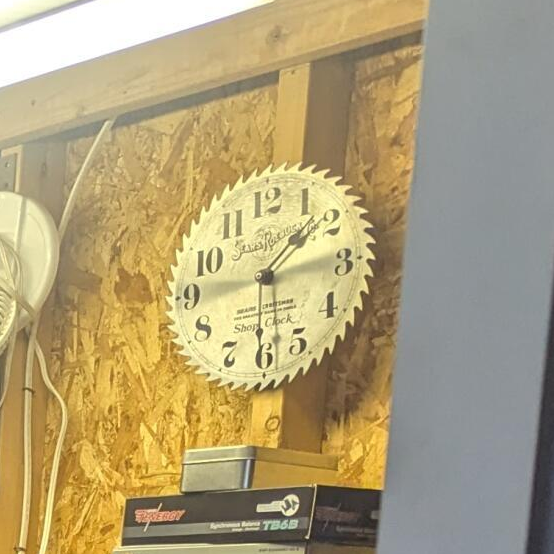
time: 1:30
